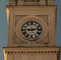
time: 9:12
